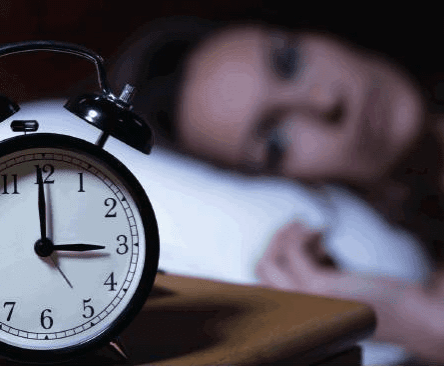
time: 2:59
